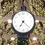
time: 7:22
